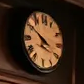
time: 3:50
